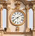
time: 8:09
